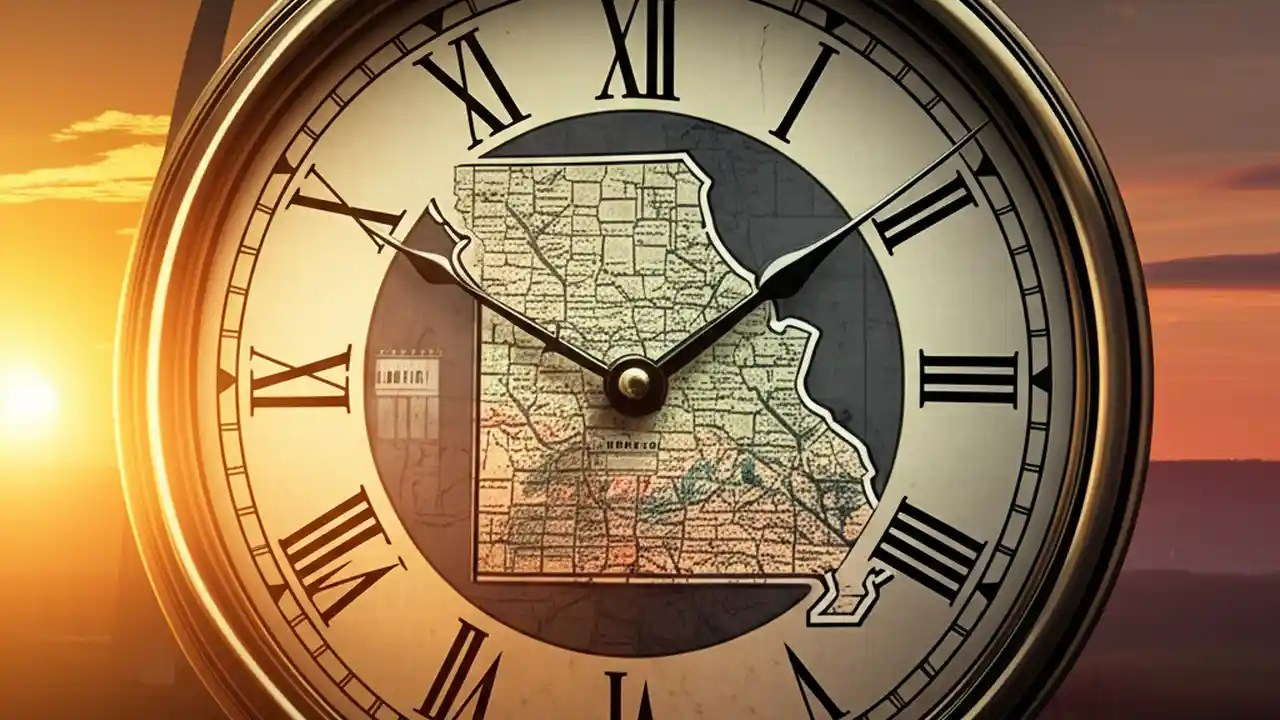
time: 1:50
